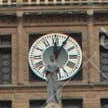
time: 12:05
